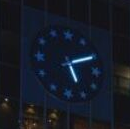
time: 5:10
